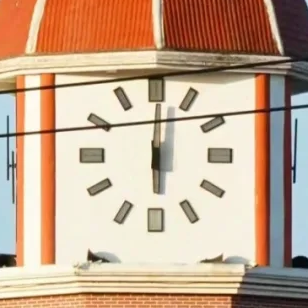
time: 6:00
